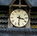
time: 3:31
